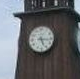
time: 5:16
